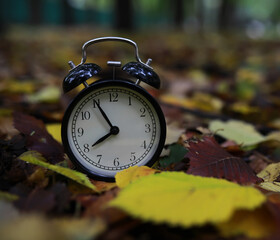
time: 7:55
